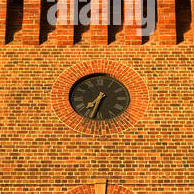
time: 7:33
